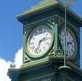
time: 2:33
